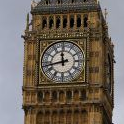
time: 11:43
